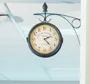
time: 2:23
